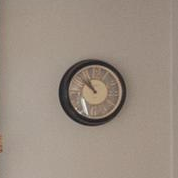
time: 10:51
